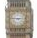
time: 2:46
